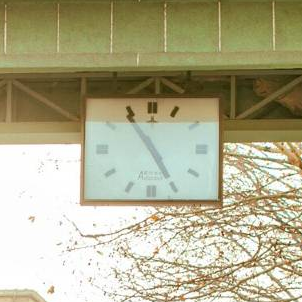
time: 4:54
